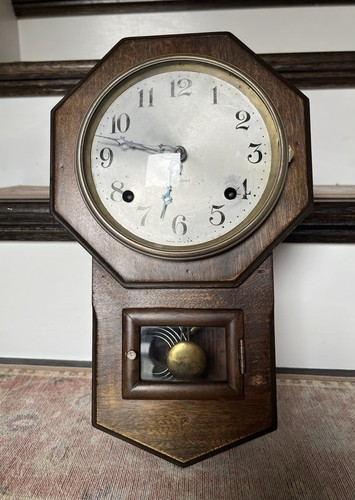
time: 6:46
